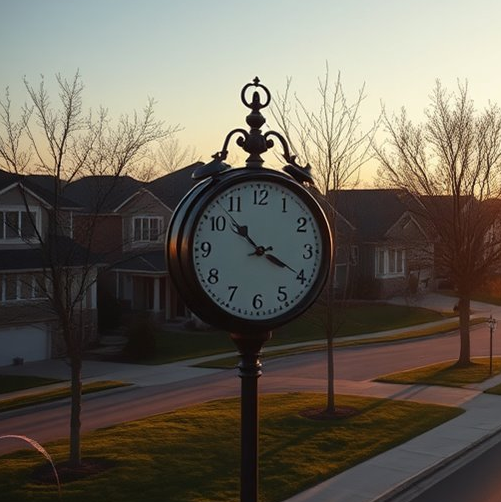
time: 3:52
